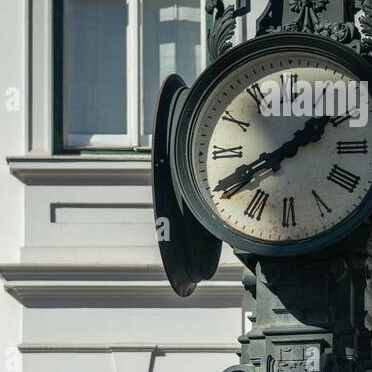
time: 1:40
